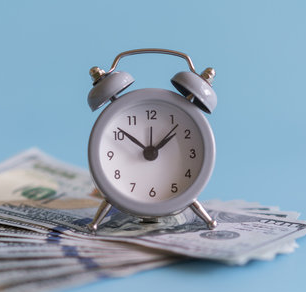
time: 1:51
